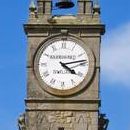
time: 4:12
